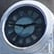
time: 2:46
